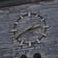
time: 2:40
